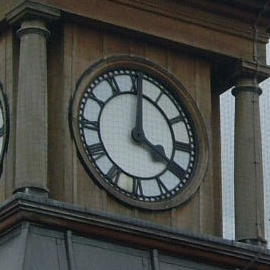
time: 4:00
